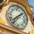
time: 1:37
